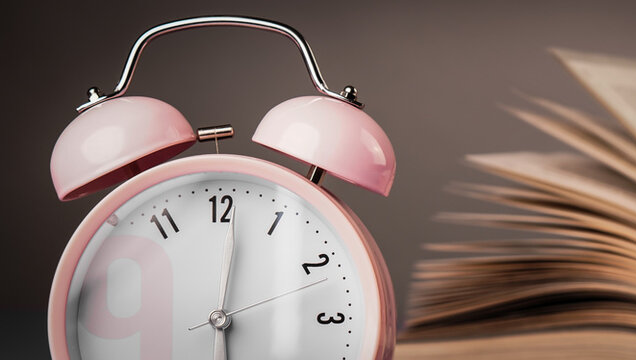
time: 6:01
